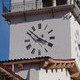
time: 3:52
